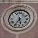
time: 5:35
